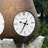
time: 9:35
